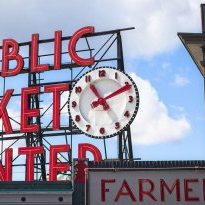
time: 11:10
